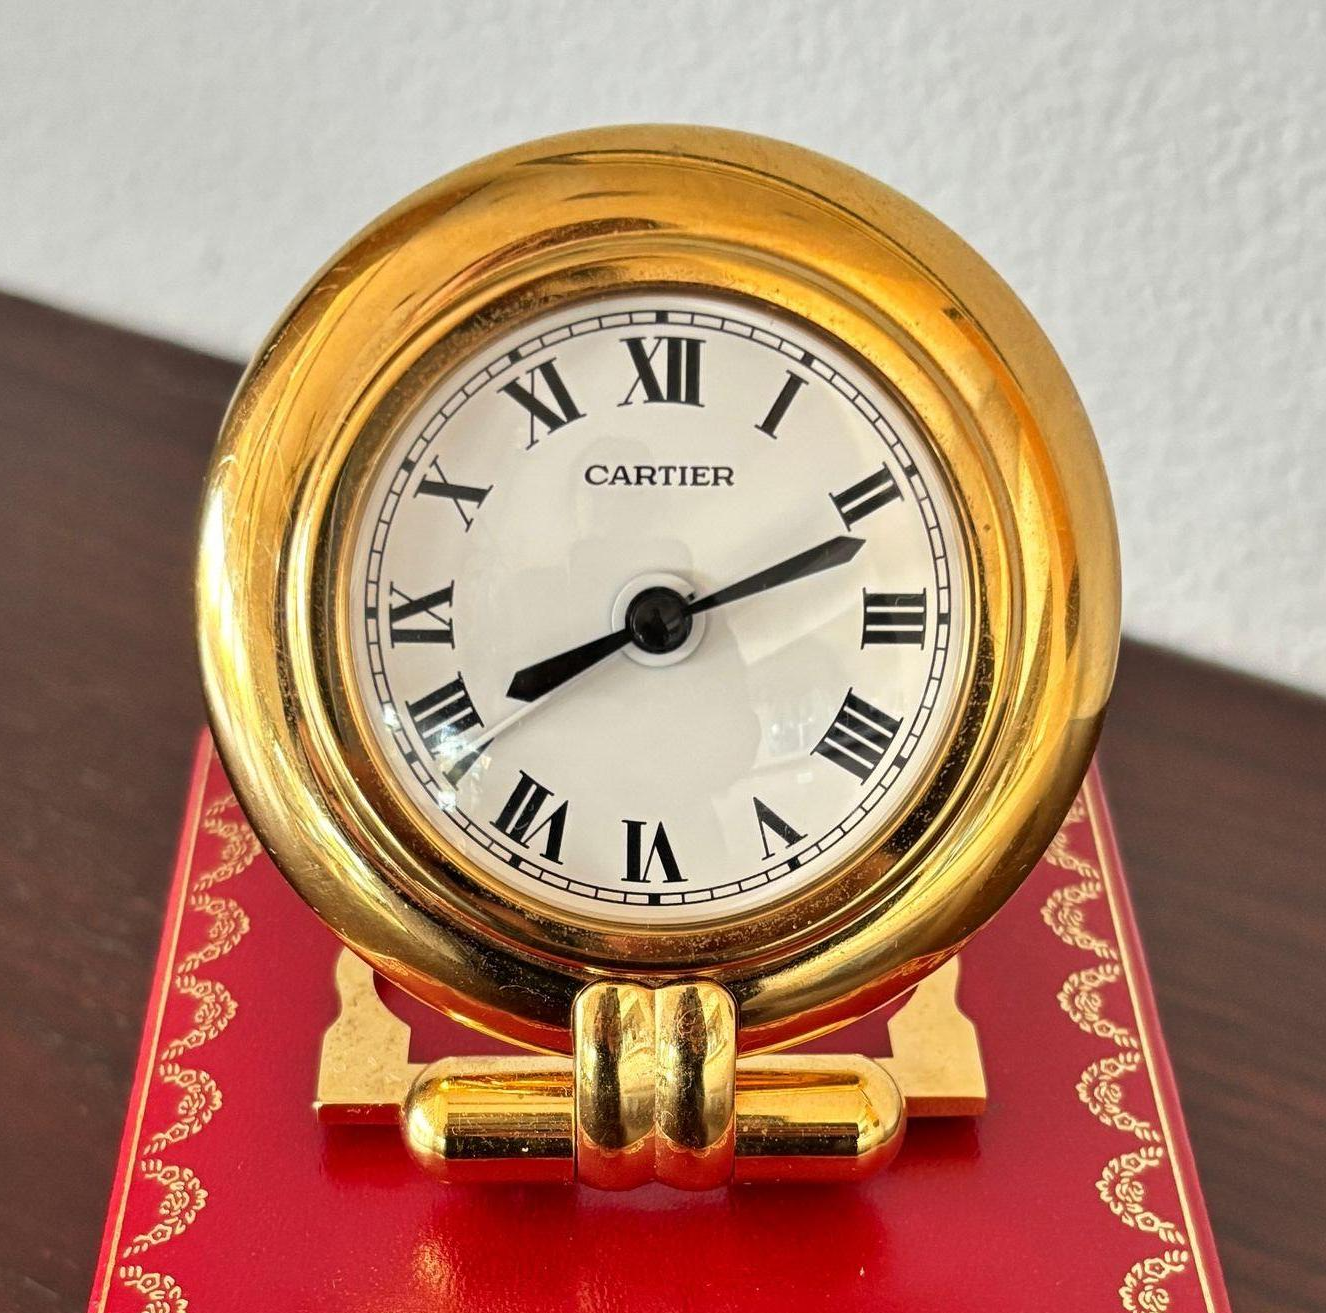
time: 8:11
